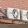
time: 11:32
